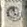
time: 3:58
